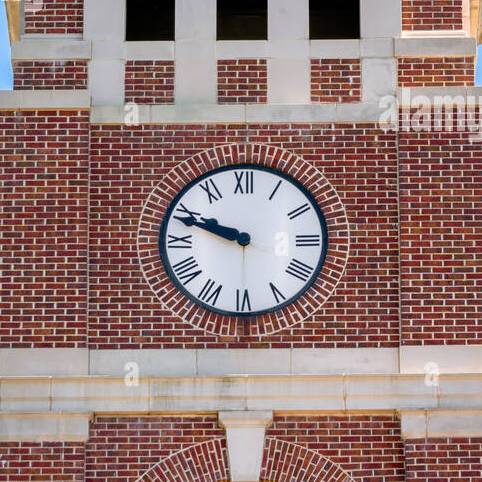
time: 9:48
